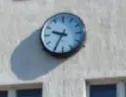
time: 9:34
